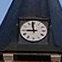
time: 8:58
